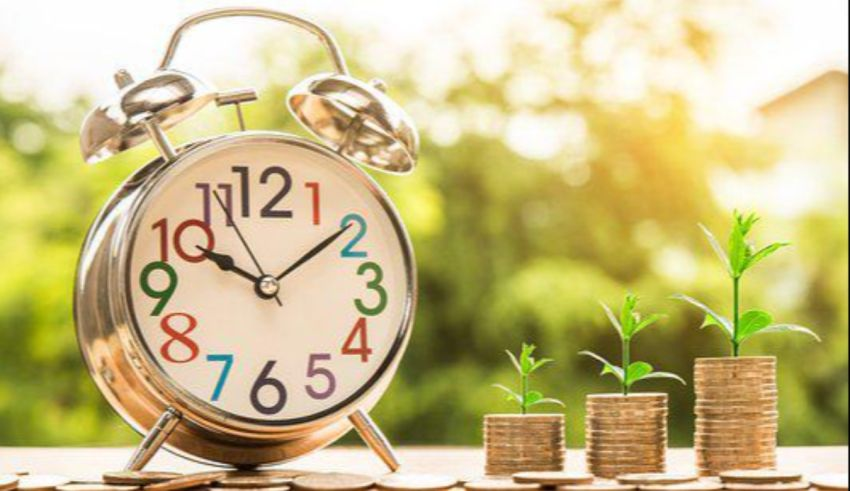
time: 10:09
